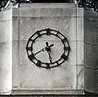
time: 5:40
